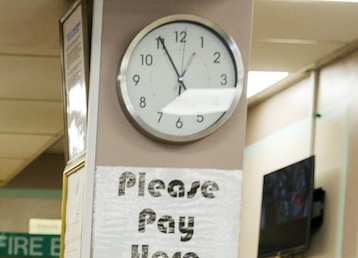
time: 12:55
